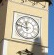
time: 11:46
